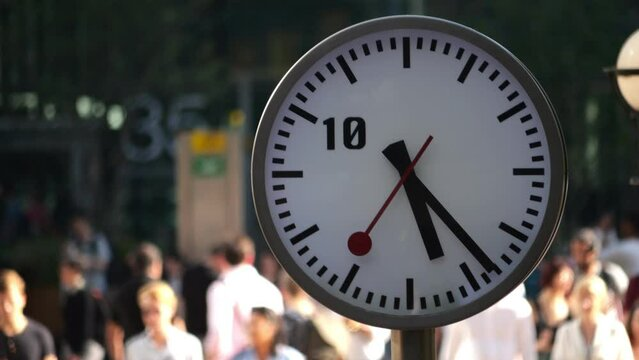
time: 5:23
